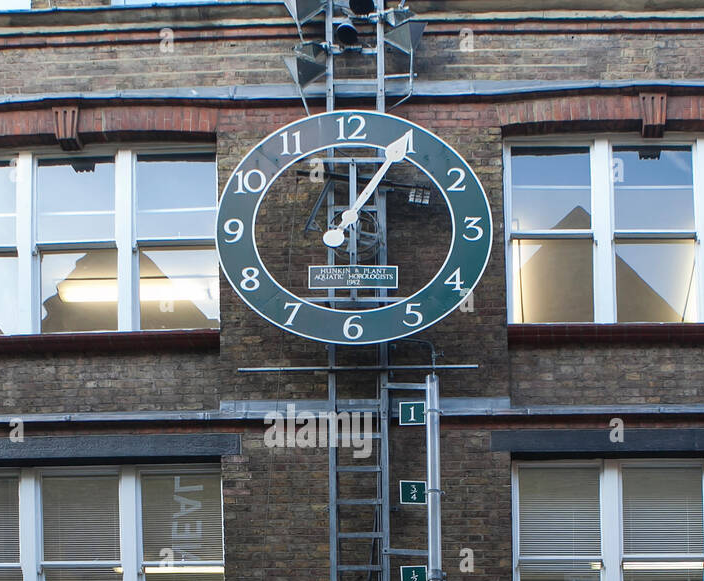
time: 12:05
